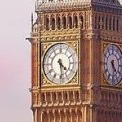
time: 4:28
